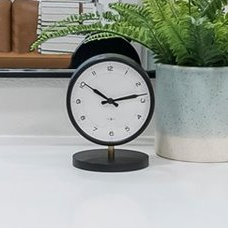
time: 10:13
